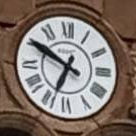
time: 6:50
